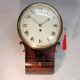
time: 1:51
